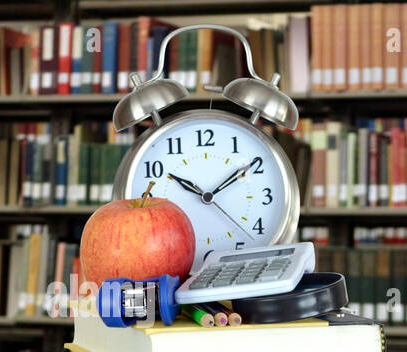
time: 10:09
